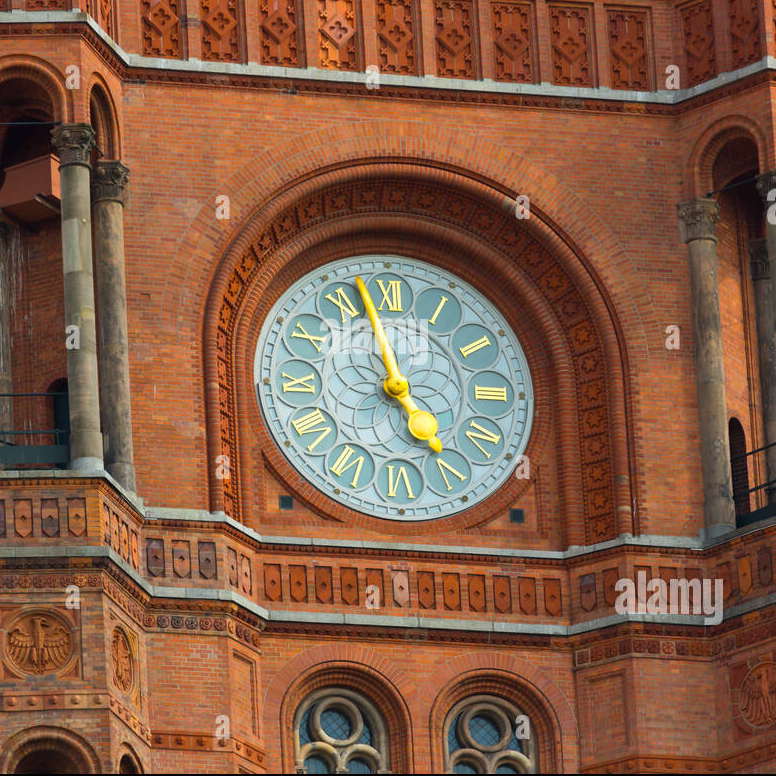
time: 4:57
